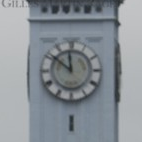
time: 11:51
